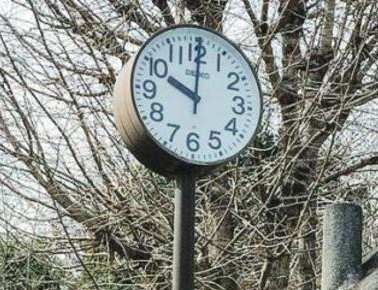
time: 10:00
